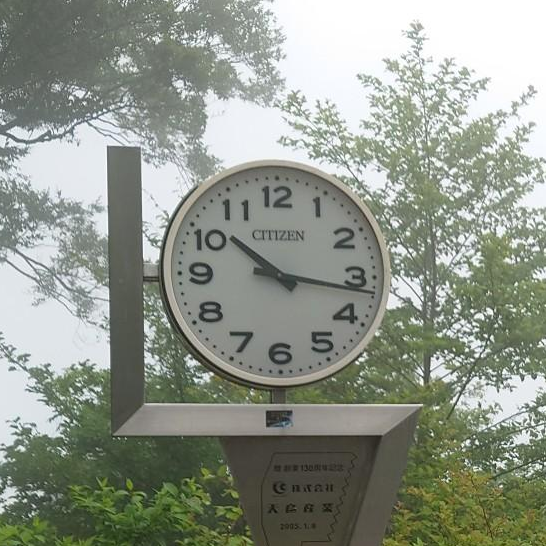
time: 10:16
